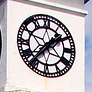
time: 1:36
